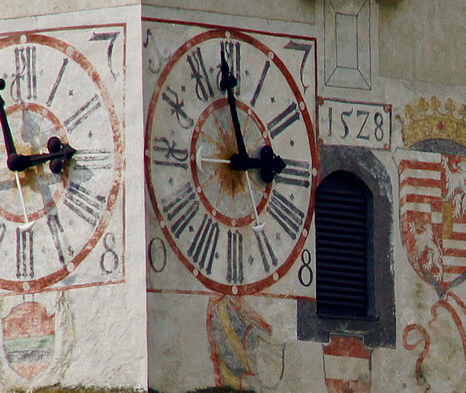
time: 2:58
